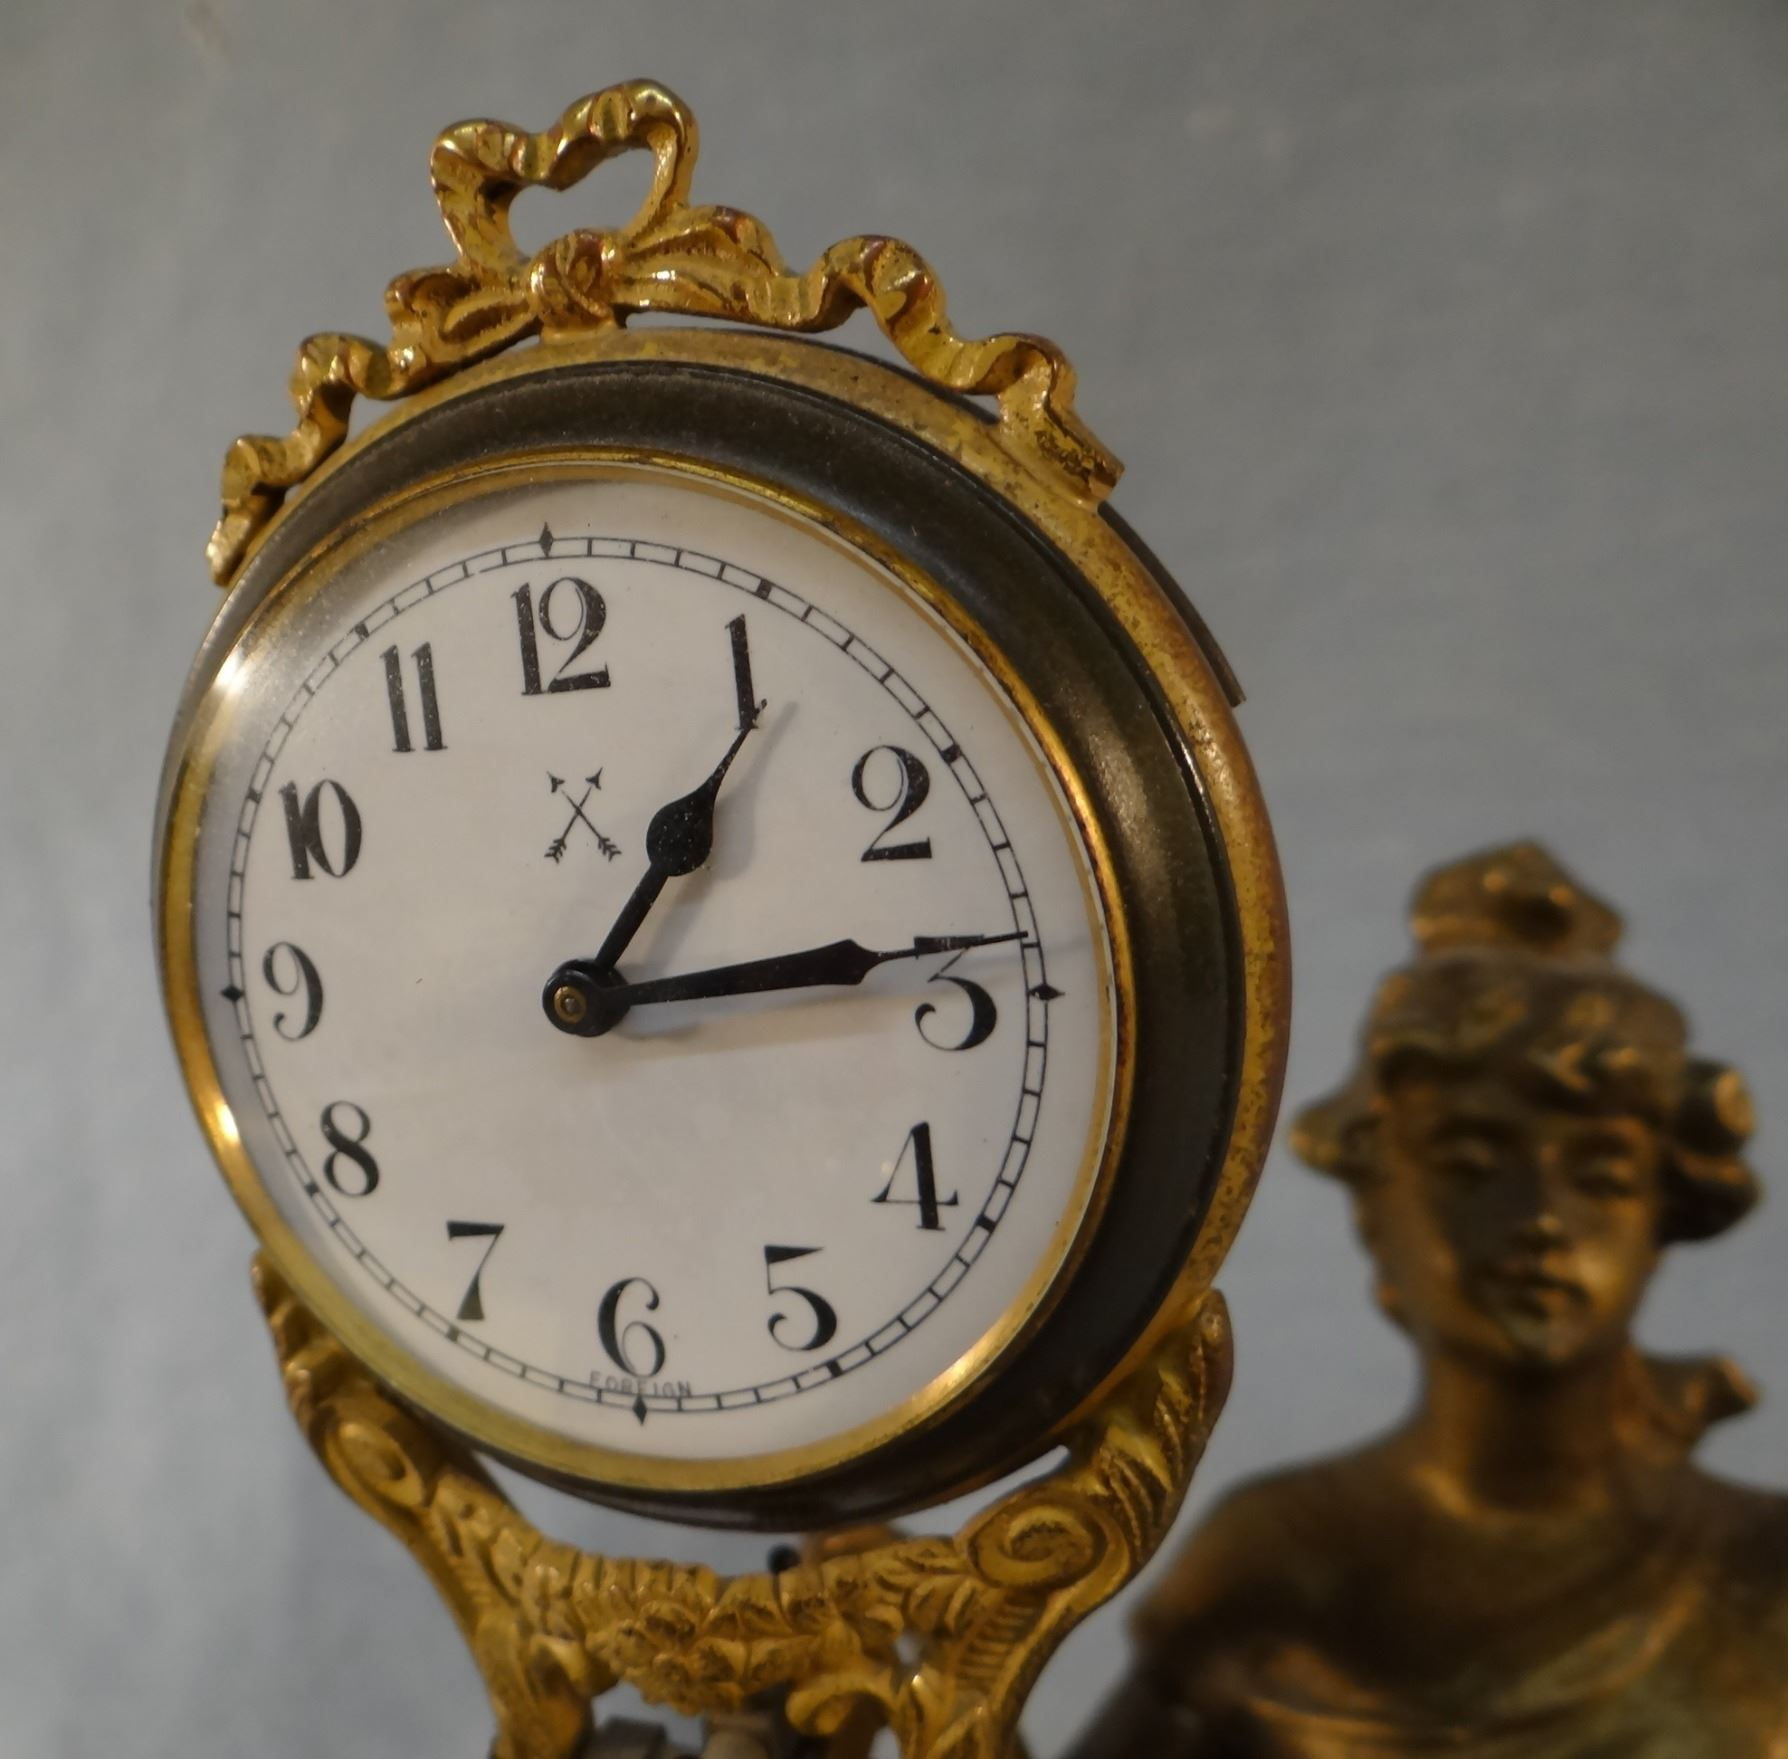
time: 1:13
